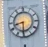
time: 8:30
